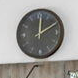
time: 12:10
